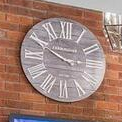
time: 9:49
